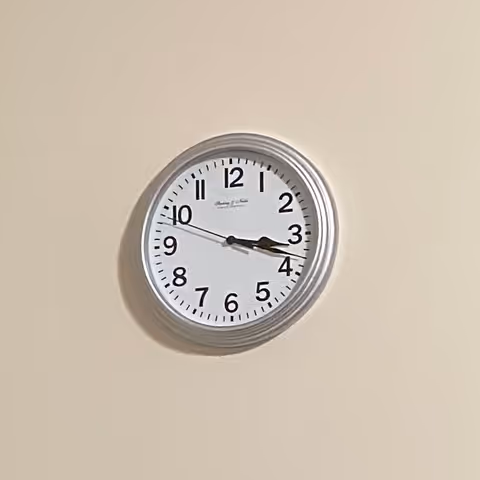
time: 3:18
